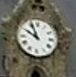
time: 9:56
